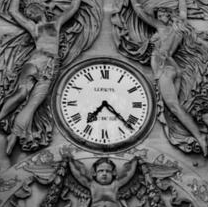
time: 7:22
